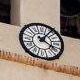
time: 4:07
